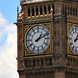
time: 1:11
